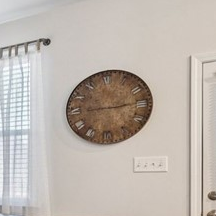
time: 2:45
